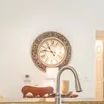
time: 10:46
